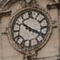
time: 10:19
